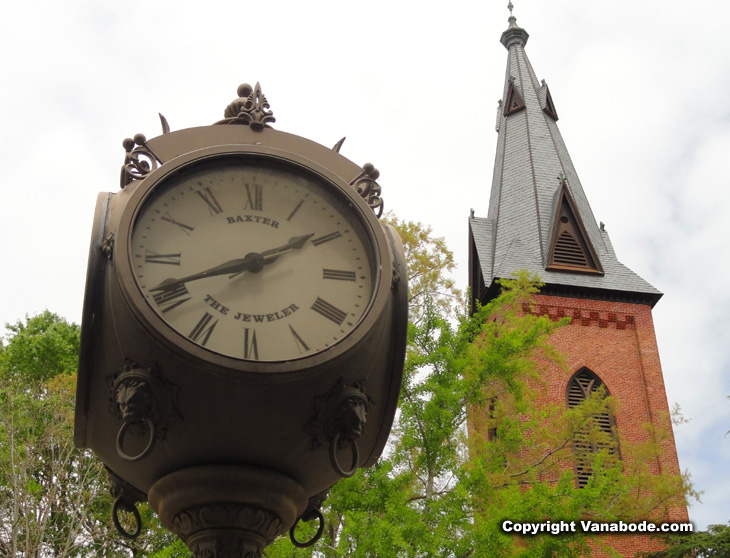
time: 8:09
